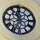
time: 11:34
